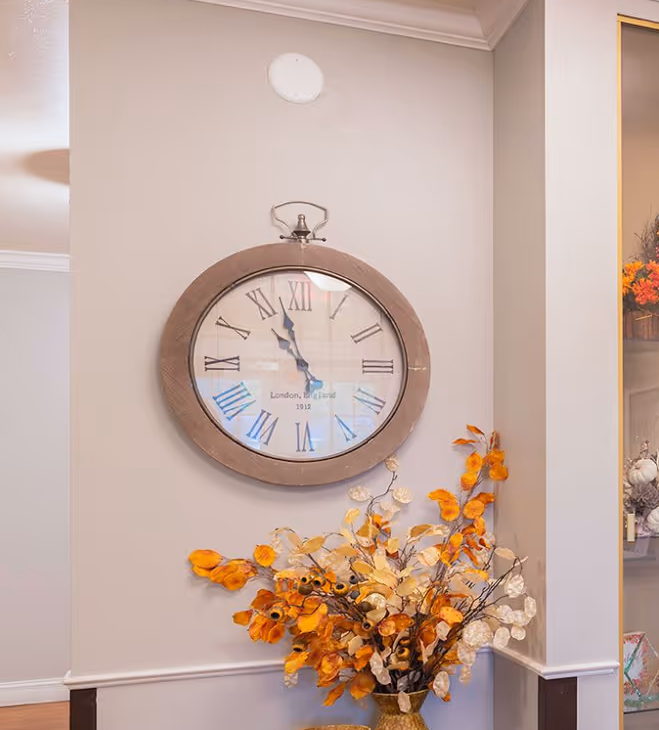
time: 10:57
